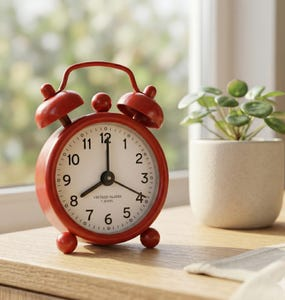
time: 8:00
